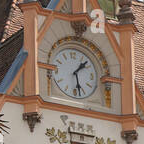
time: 1:28
